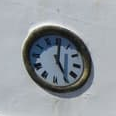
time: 5:00
